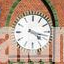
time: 4:17
